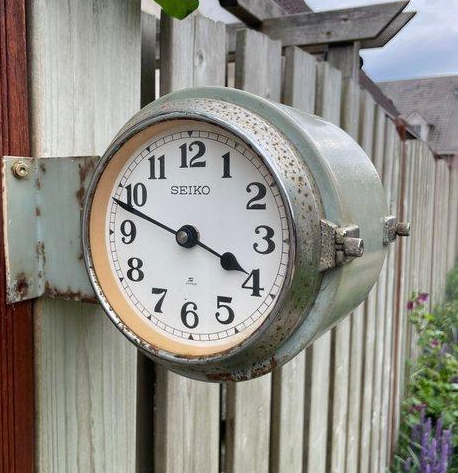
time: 3:48
